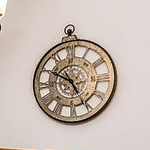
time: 4:49
